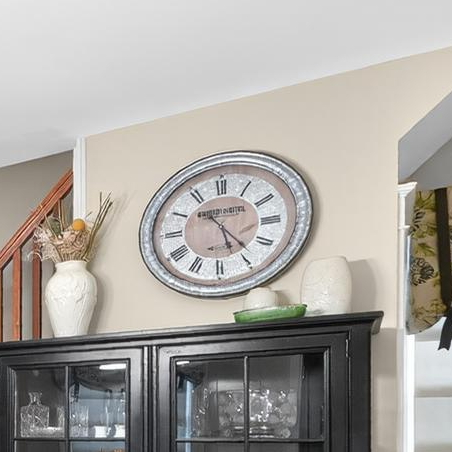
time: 5:23
